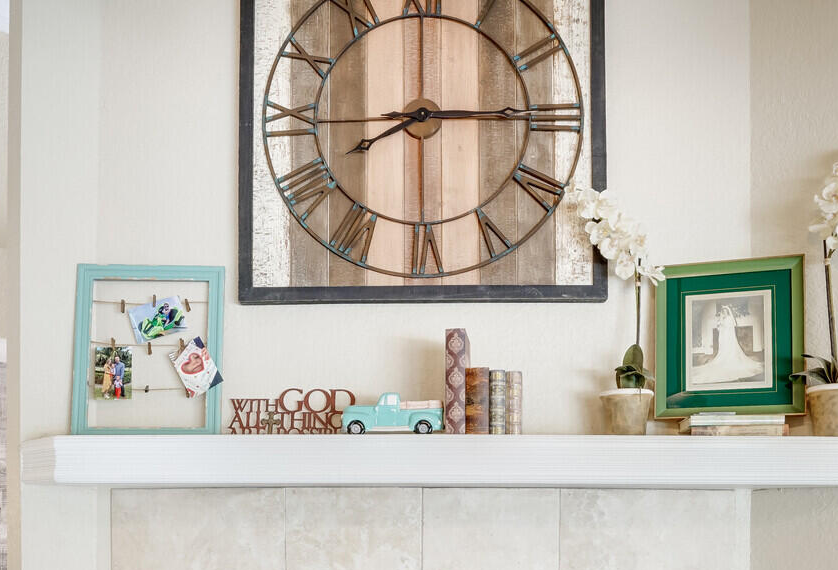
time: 8:15
